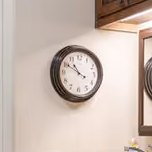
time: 10:50
